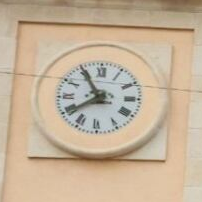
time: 7:54
